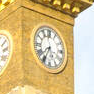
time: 7:34
